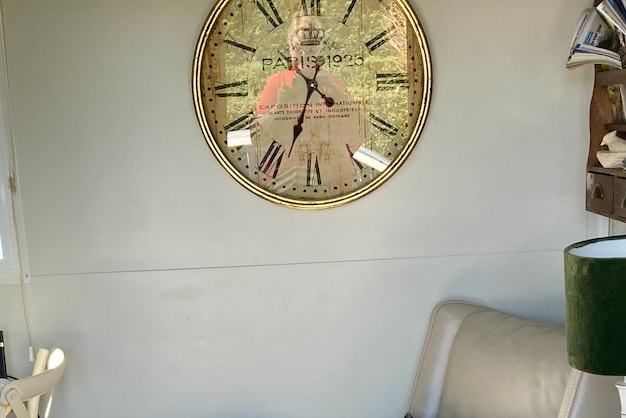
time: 4:33
